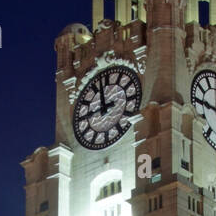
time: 11:44
